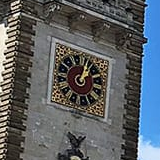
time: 1:01
